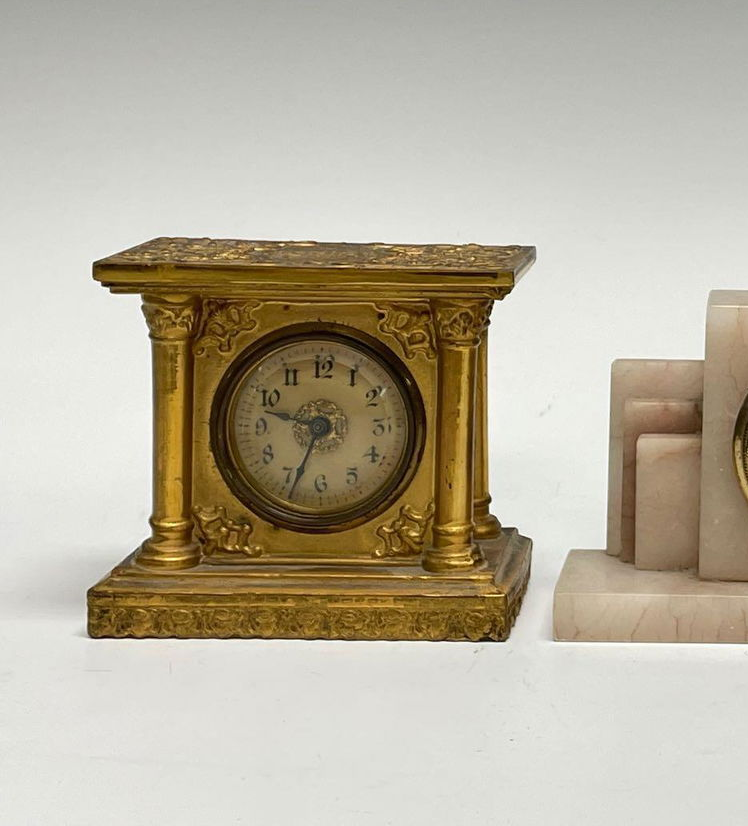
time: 9:33
